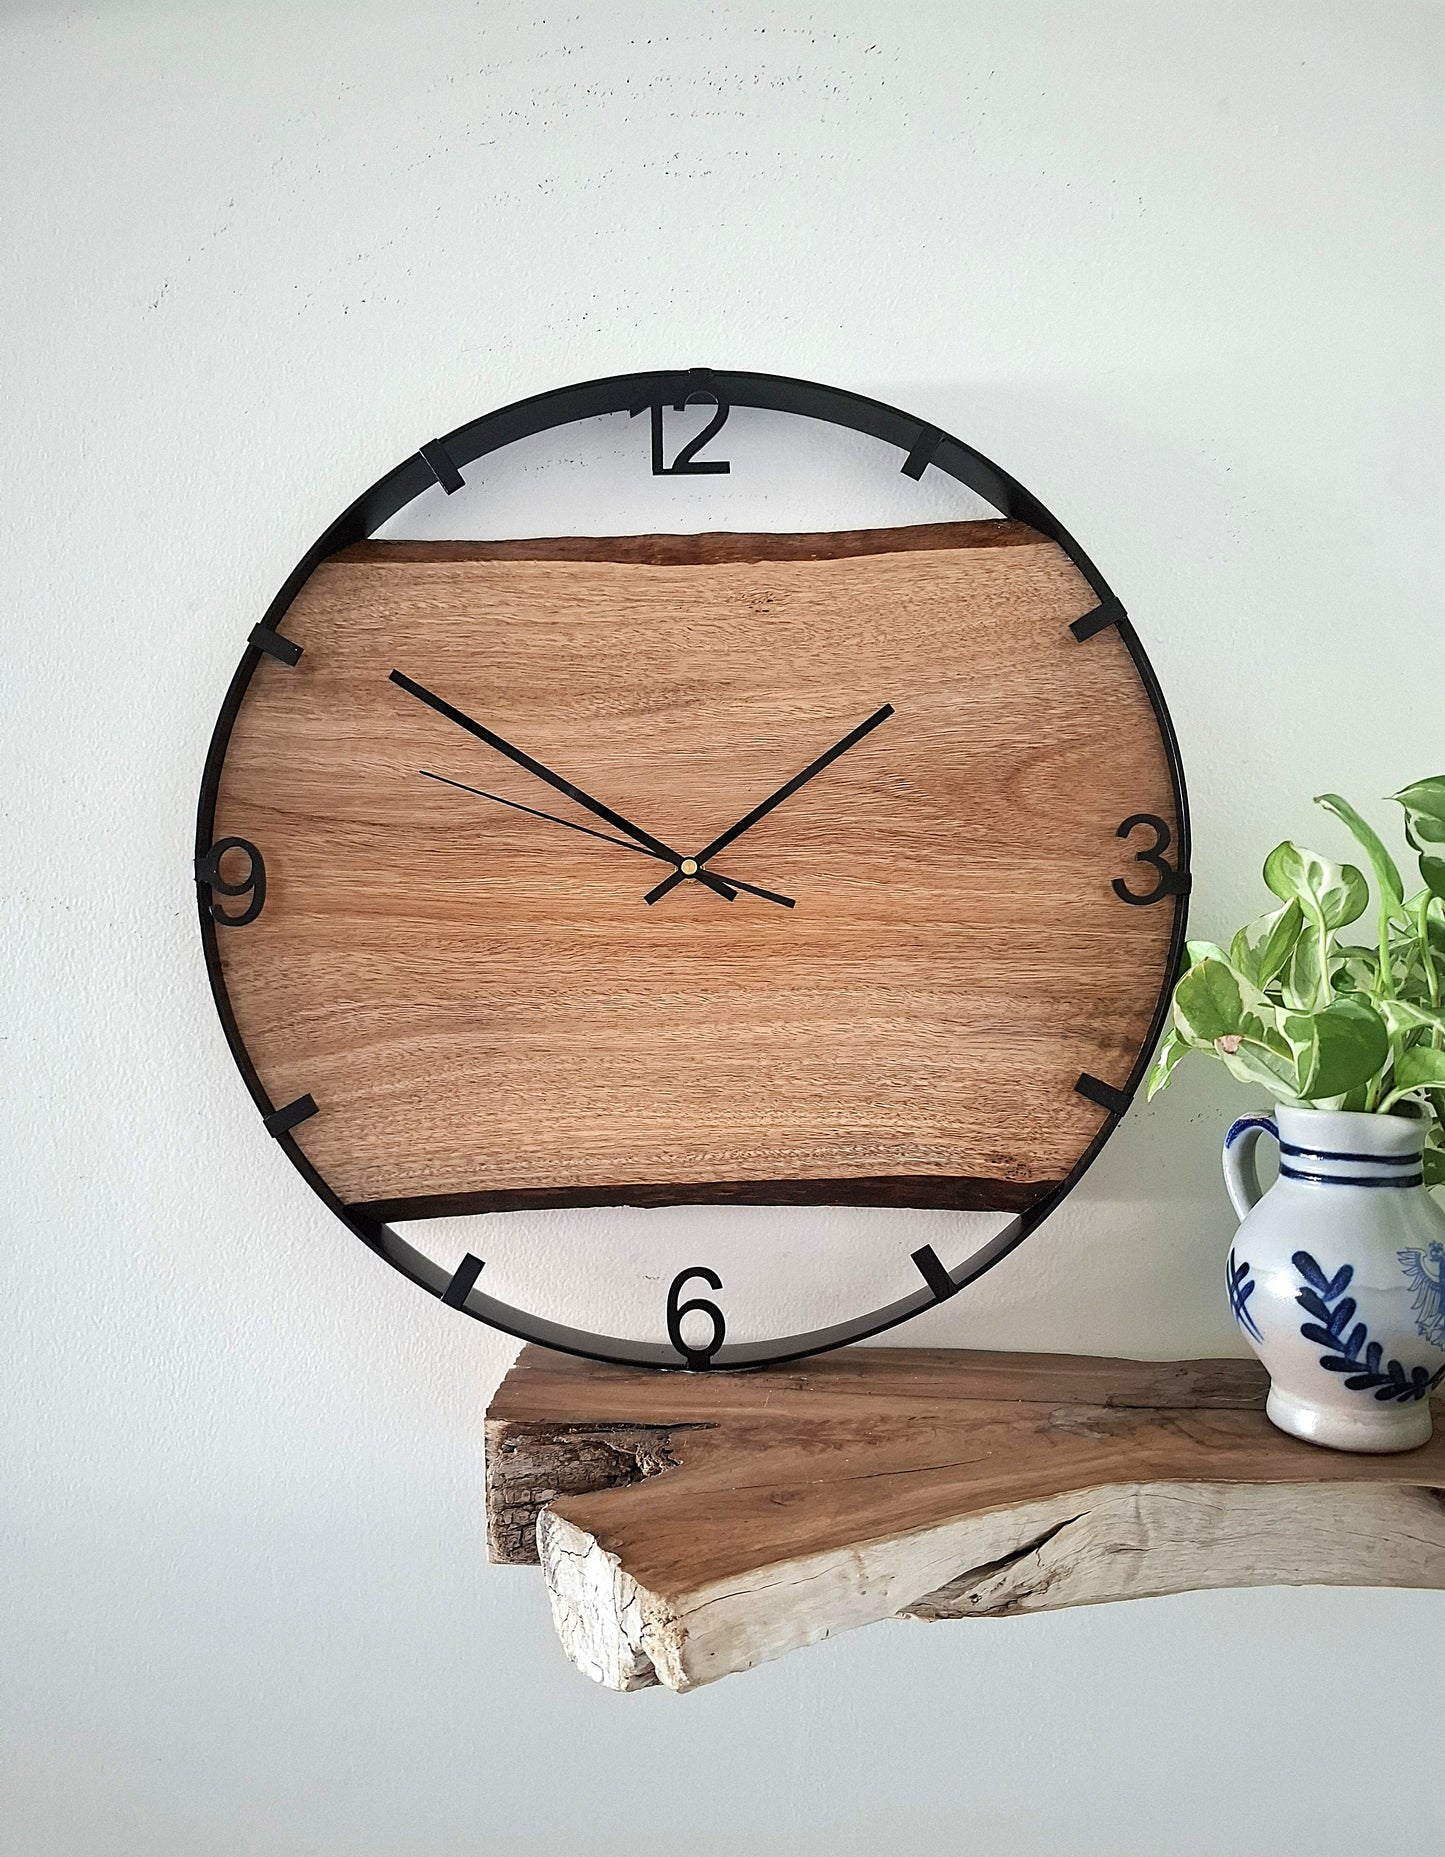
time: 1:51
